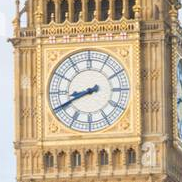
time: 8:40
